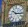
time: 10:15
